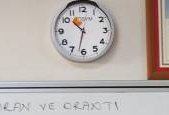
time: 10:32
